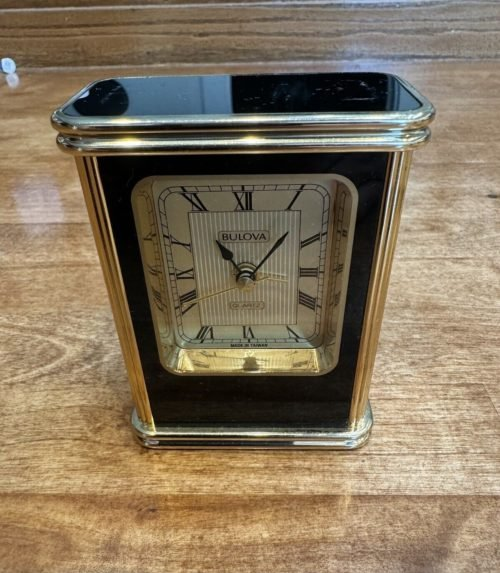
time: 11:07
